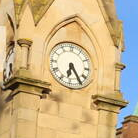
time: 6:24
